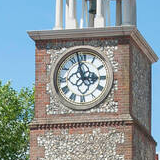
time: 2:58
